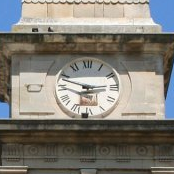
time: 2:48
